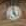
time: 4:59
